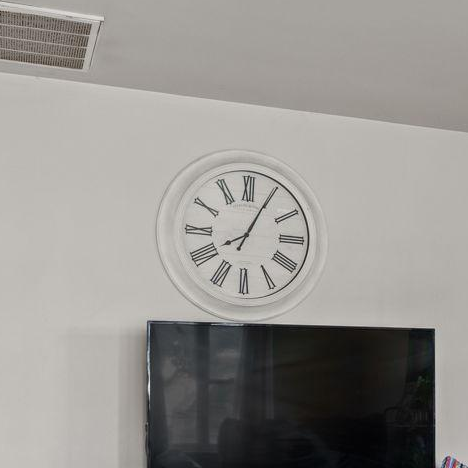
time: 8:04
